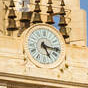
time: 5:16
